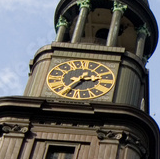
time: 2:35
